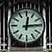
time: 12:14
